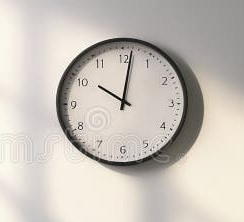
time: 10:01
